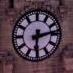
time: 6:13
